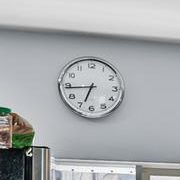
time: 6:44
